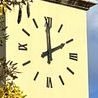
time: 1:59
